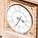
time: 3:34
